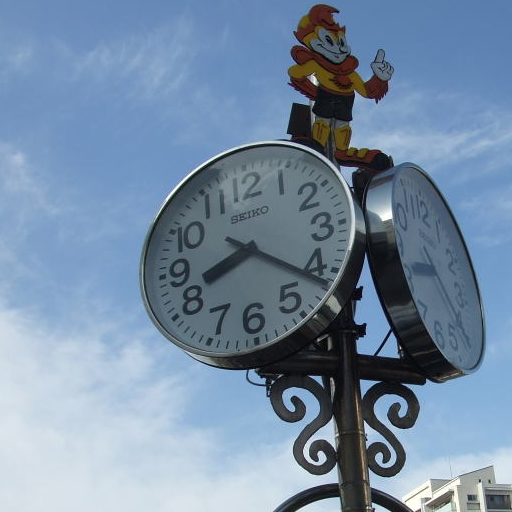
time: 8:21
